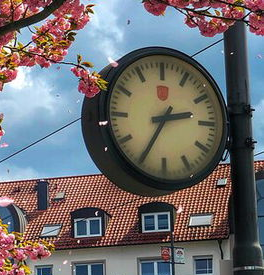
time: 2:35
